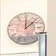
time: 12:07
